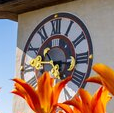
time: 11:16
